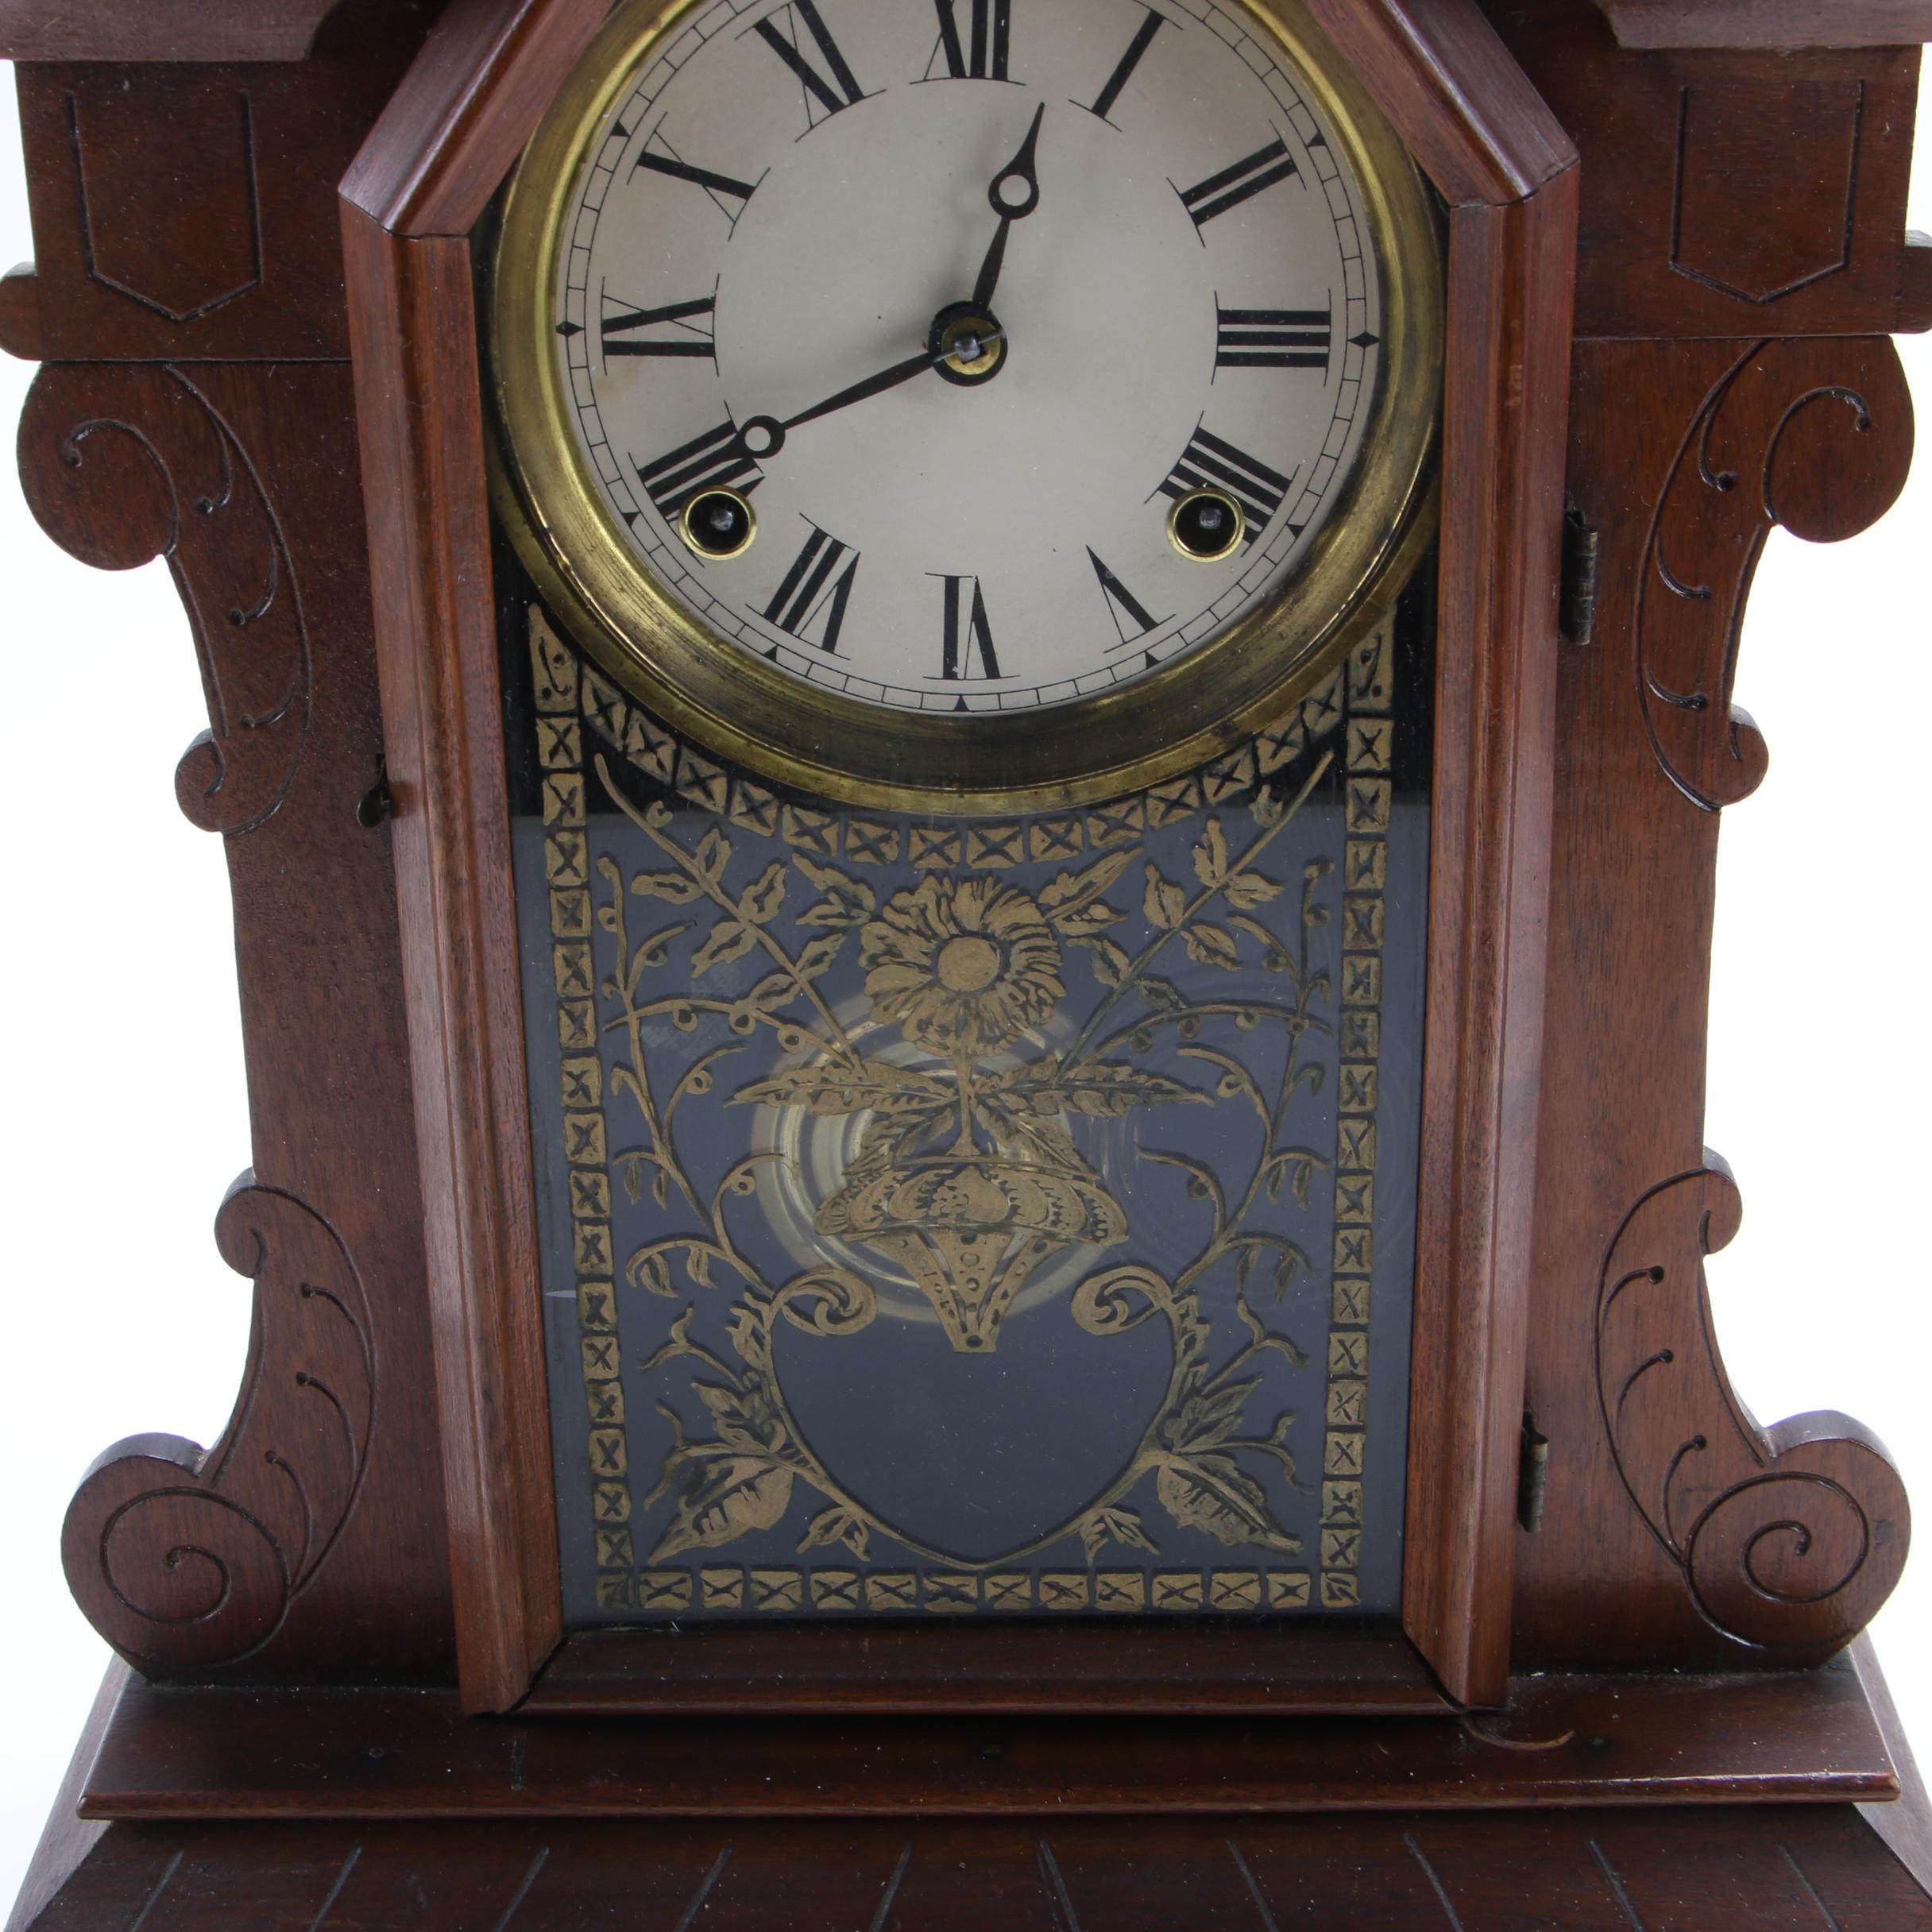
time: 12:40
